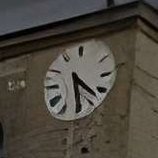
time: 4:29
